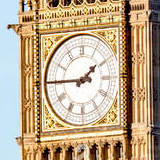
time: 1:45
